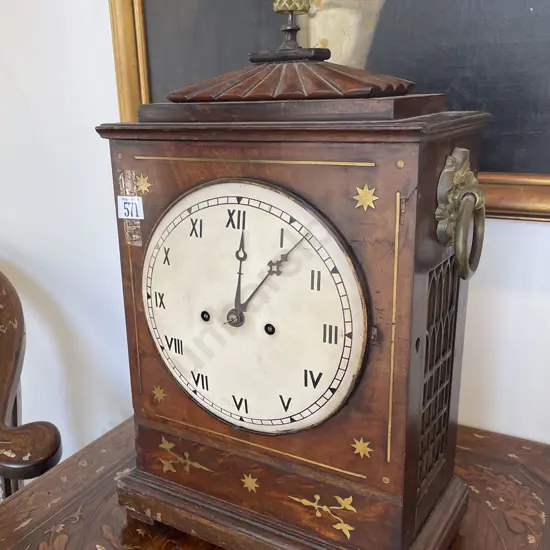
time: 12:06
